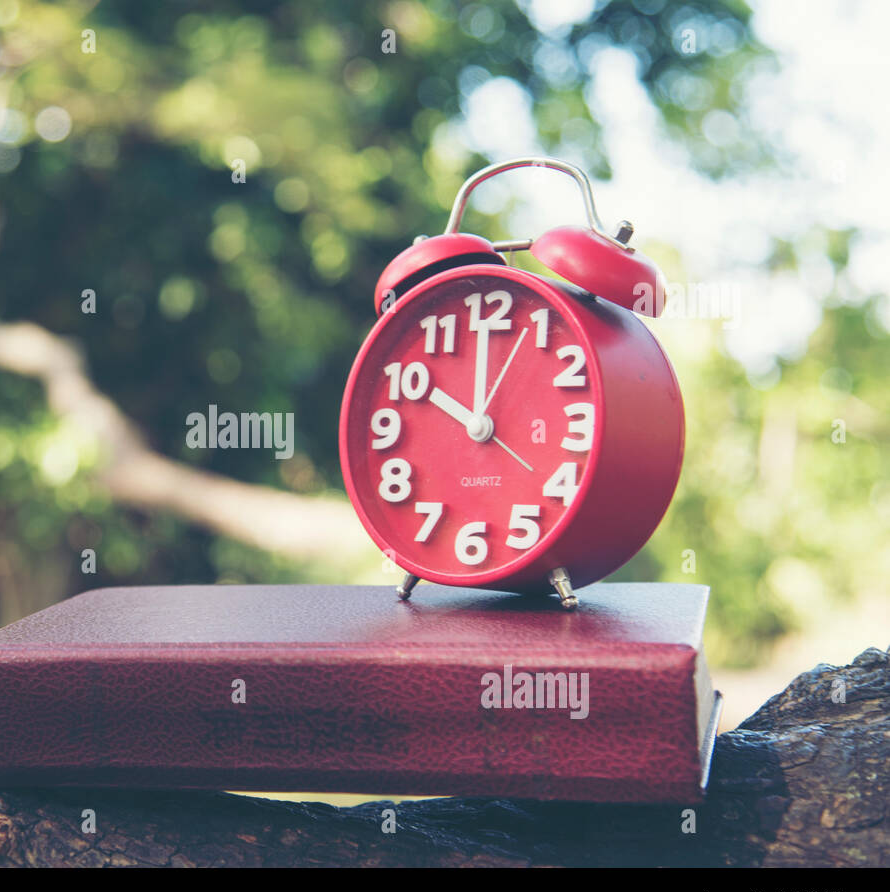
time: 10:00
